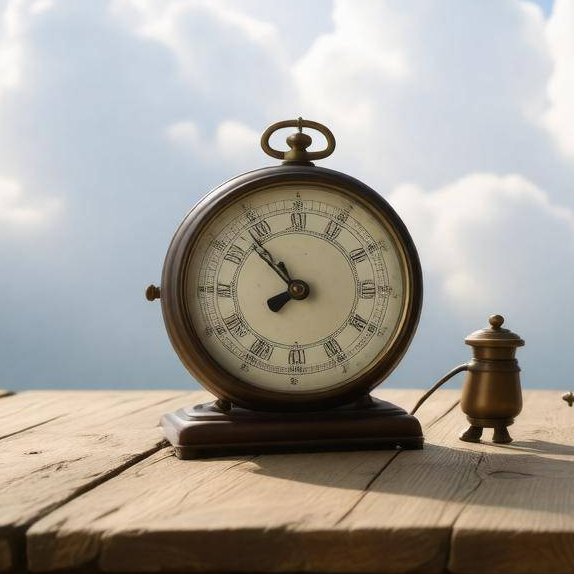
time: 7:53
